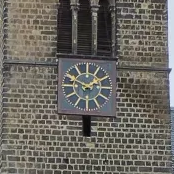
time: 1:49
